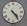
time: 4:23
